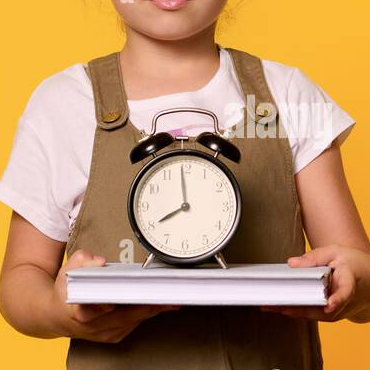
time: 7:59
